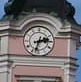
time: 2:32
